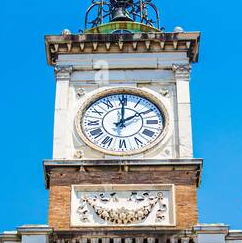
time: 2:00
